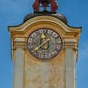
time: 11:37
